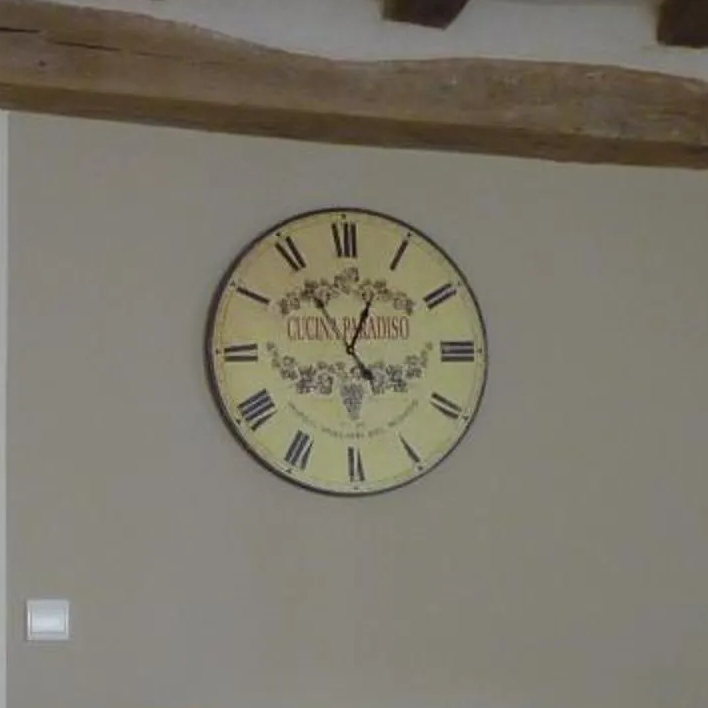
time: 12:54
